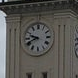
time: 9:41
